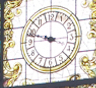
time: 3:48
